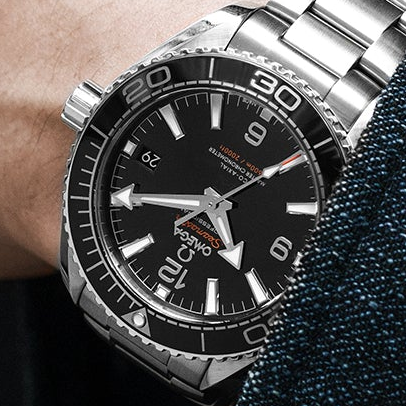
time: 4:45
